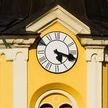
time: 5:17
